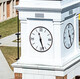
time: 11:27
